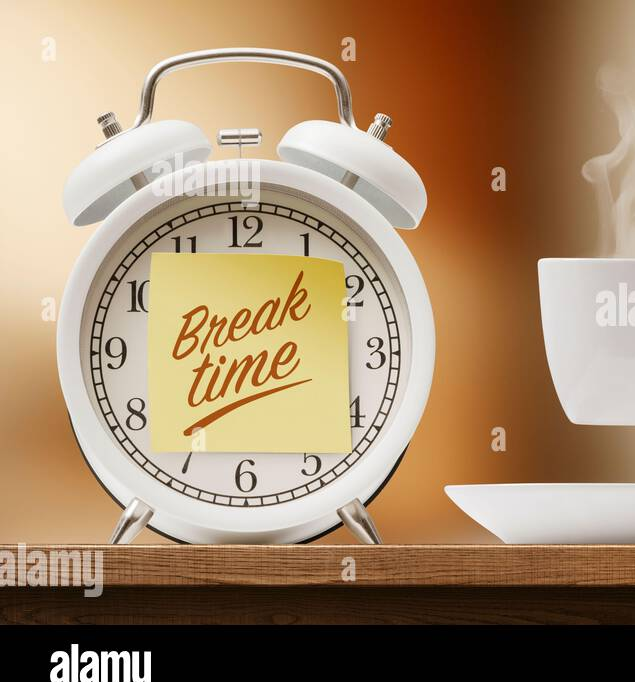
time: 8:36
